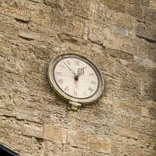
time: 12:52
